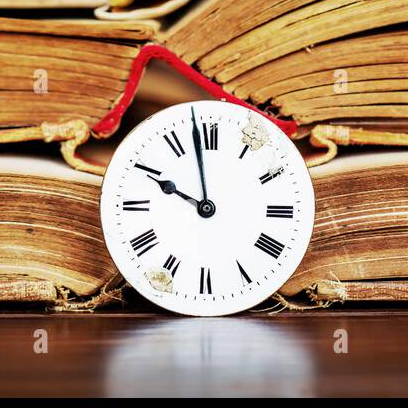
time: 9:57
